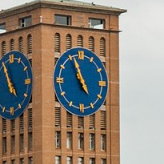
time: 4:56
